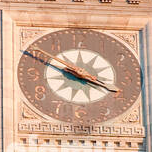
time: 3:49
